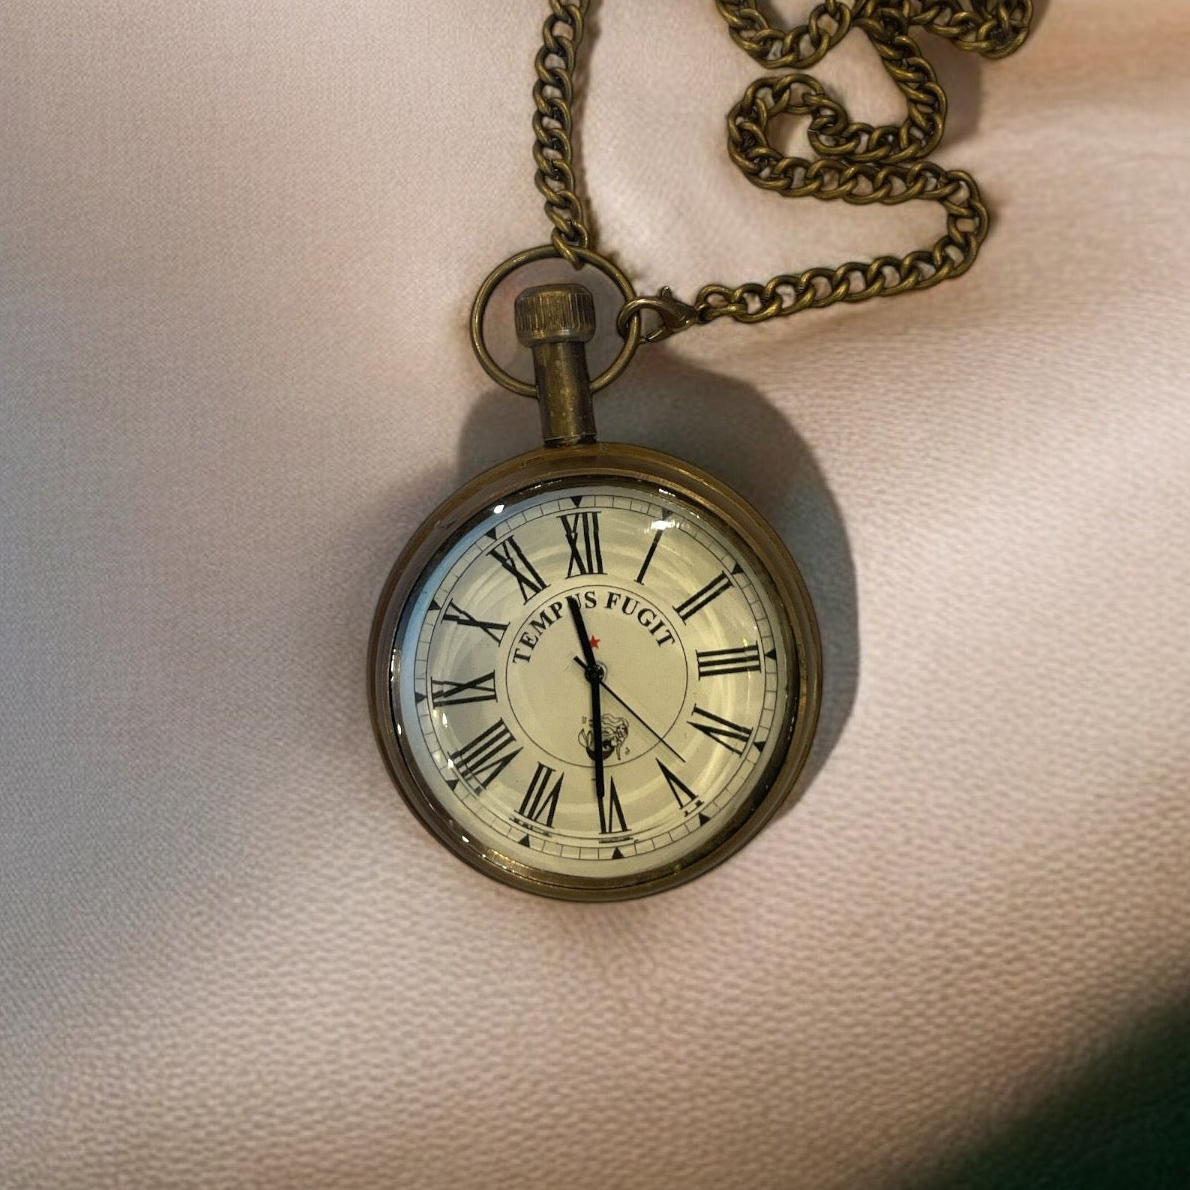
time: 11:30
